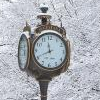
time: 11:40
